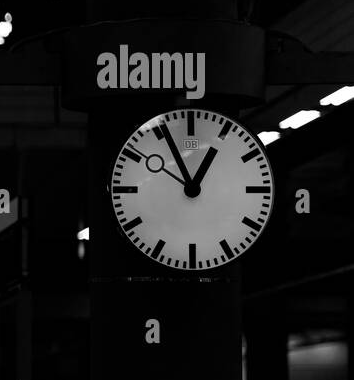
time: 12:55
